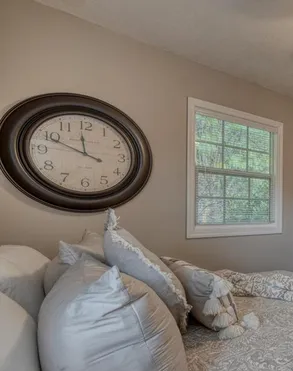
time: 11:49
